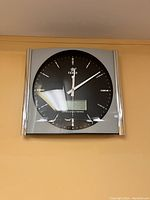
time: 12:09
